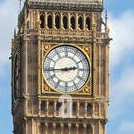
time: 2:44
